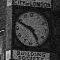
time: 4:49
